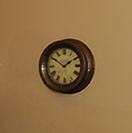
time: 1:50
